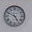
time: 4:49
